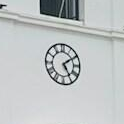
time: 5:09
